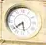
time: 5:38
